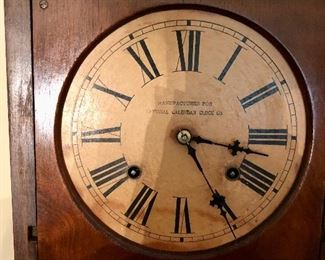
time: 3:24
